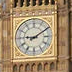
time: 9:09
